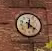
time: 6:21
